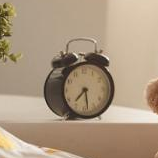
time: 7:28
